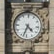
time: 4:33
